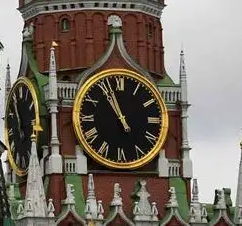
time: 10:56
